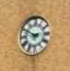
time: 2:49
